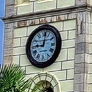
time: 9:01
